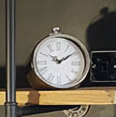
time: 10:09
